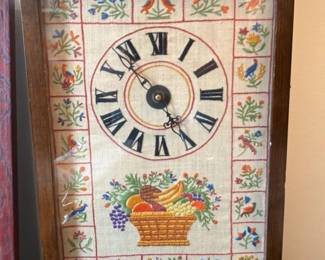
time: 4:52
